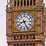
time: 8:26
